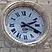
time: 2:19
